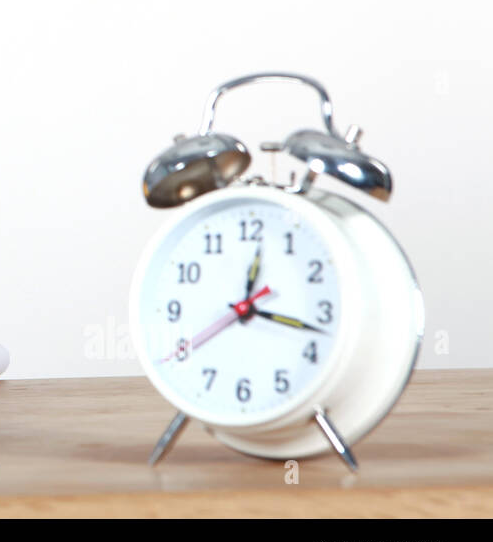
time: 12:17
